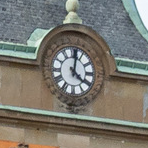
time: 4:01
